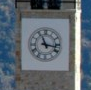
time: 11:16
